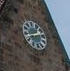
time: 8:12
